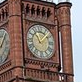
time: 11:07
